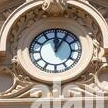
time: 12:05
